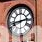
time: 2:42
